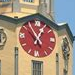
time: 12:55
